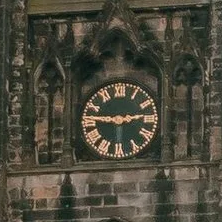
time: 2:46
